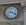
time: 9:20
